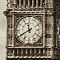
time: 11:40
